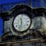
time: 11:32
